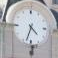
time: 4:33
